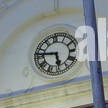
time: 5:46
